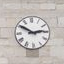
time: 2:50
